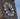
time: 4:52
